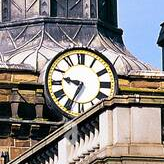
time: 9:34
